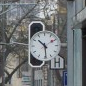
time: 10:29
